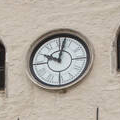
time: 10:02
